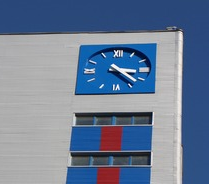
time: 3:22
